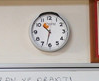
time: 10:32
